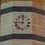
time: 9:01
